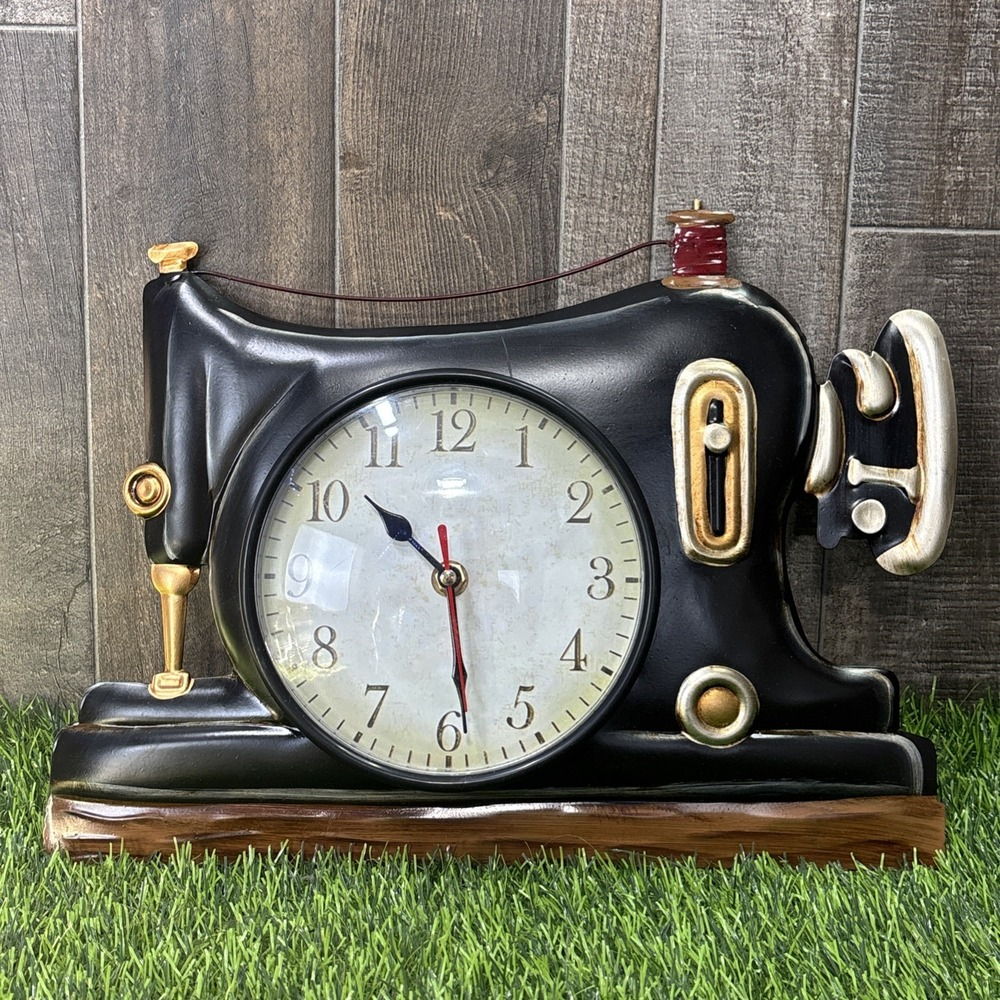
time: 10:29
